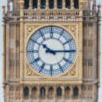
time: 10:14
